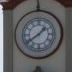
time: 1:39
